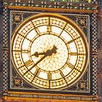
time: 8:38
